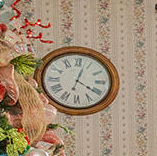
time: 4:03
